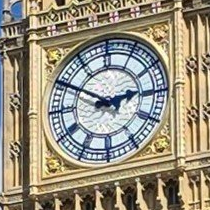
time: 2:50
